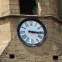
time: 3:15
